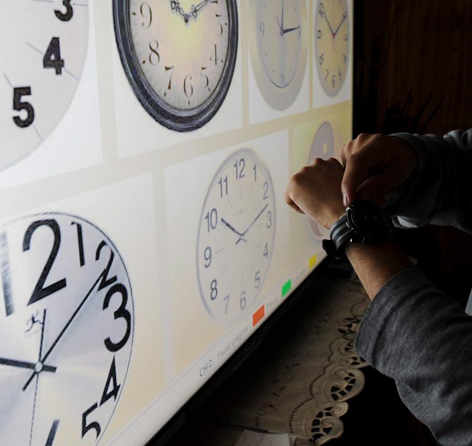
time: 10:12
